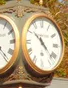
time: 10:22
